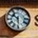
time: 5:51
